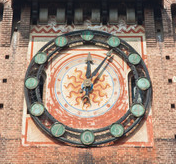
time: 12:05
